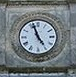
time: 4:56
